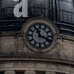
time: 11:18
